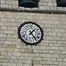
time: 1:24
